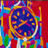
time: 3:39
